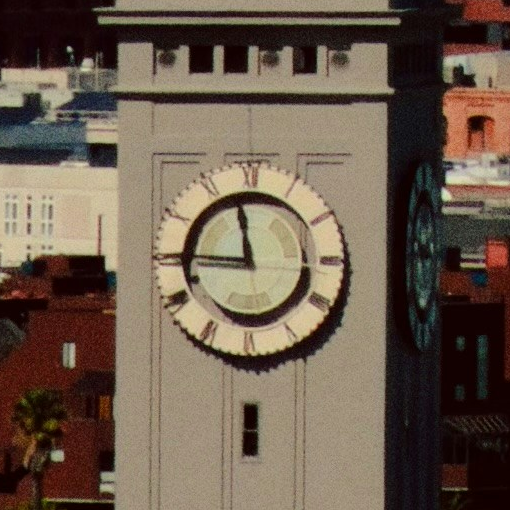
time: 11:45
